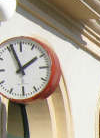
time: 1:56
